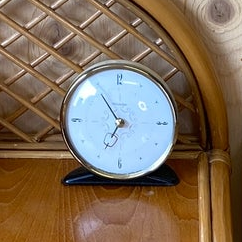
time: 6:54
